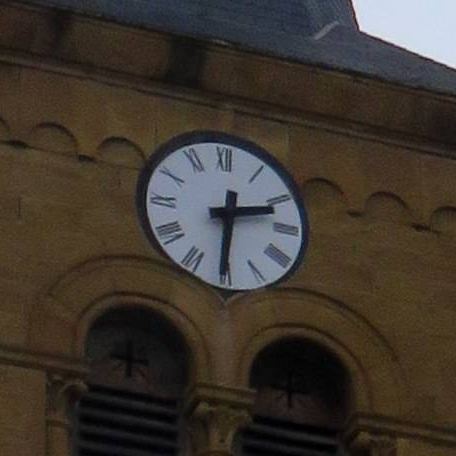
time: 2:30
